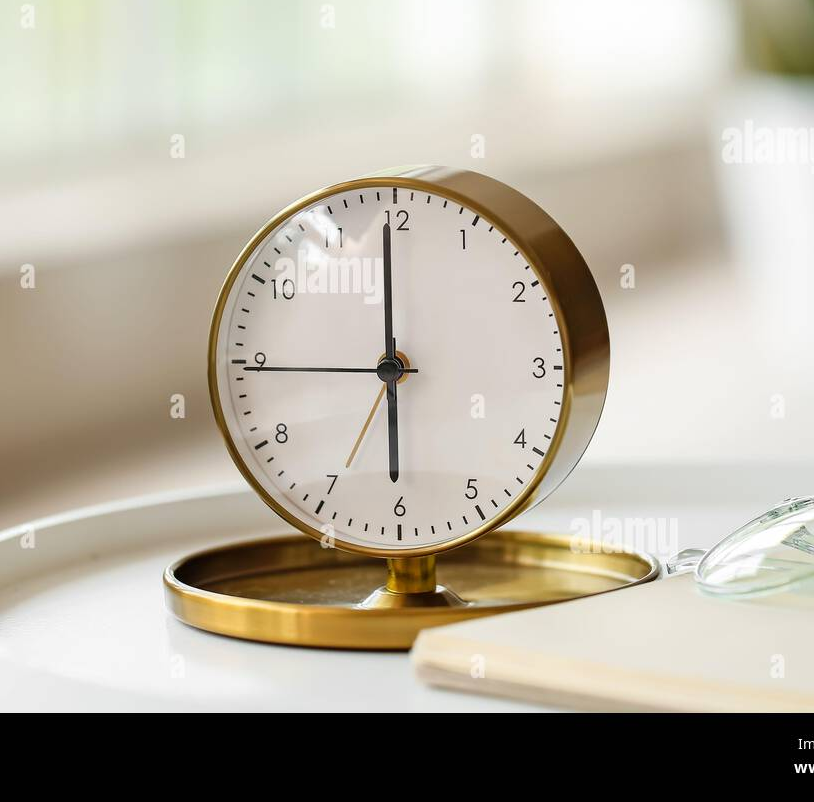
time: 5:59
